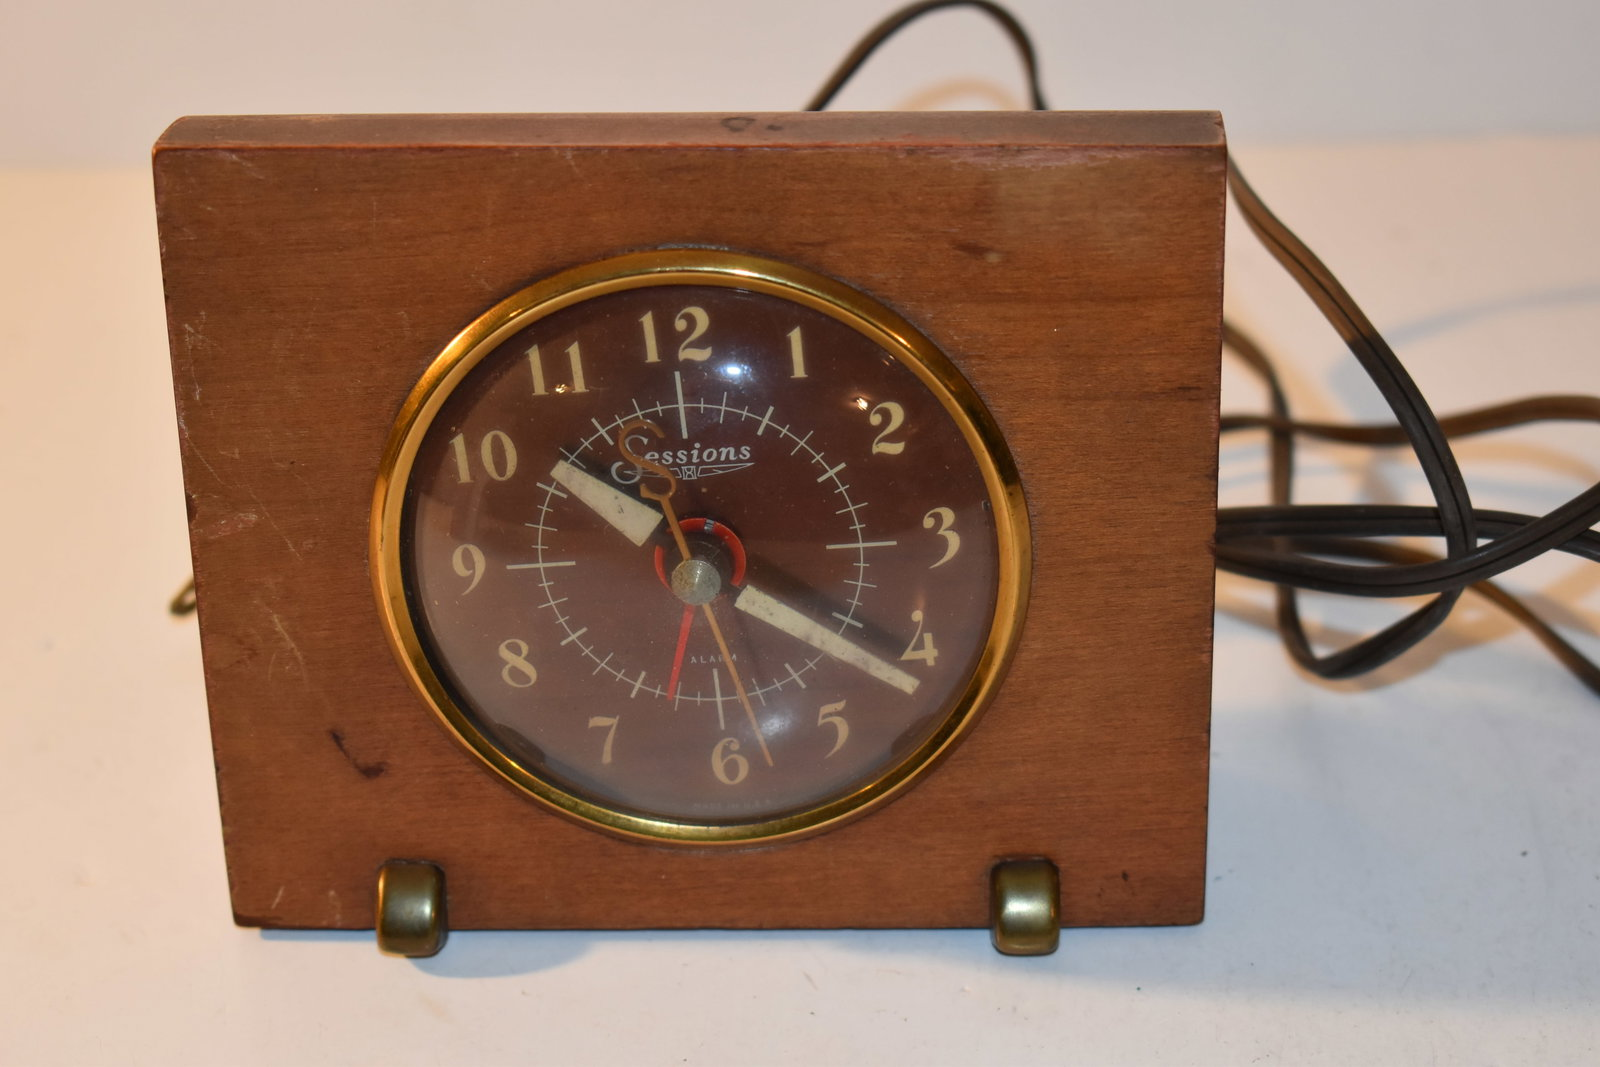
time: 10:21
